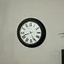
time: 8:26
